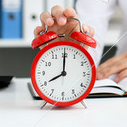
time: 8:00
